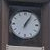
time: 1:05
